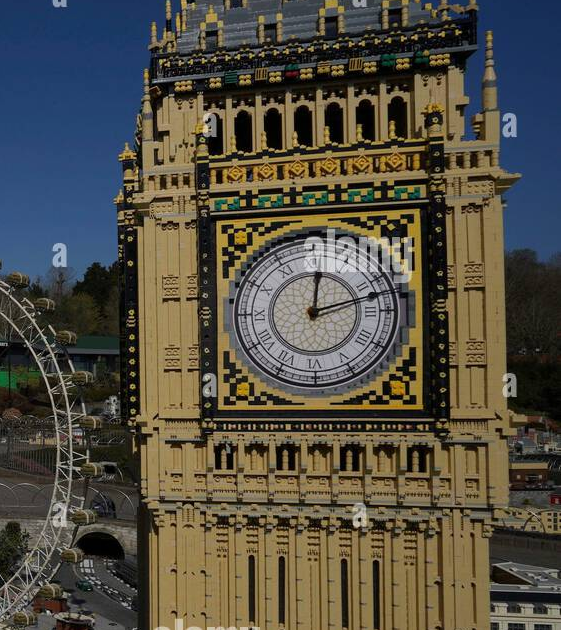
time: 12:12
